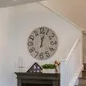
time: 12:02
